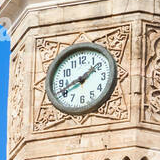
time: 1:41
